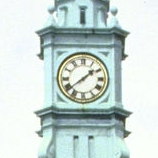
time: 1:38
